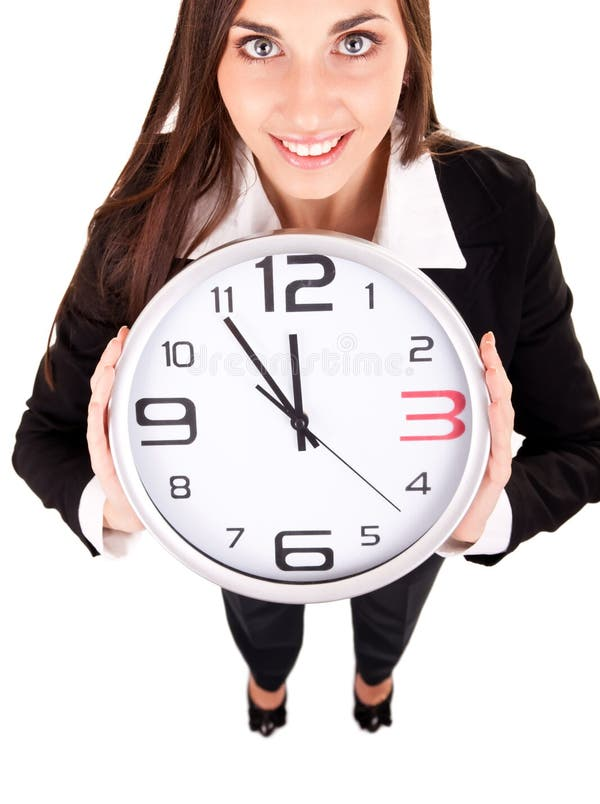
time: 11:54
